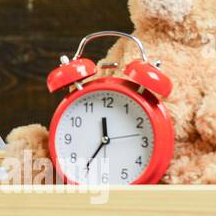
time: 11:35
